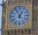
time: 12:55
